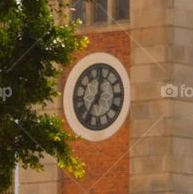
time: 12:36
